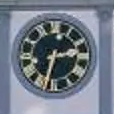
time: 2:32
